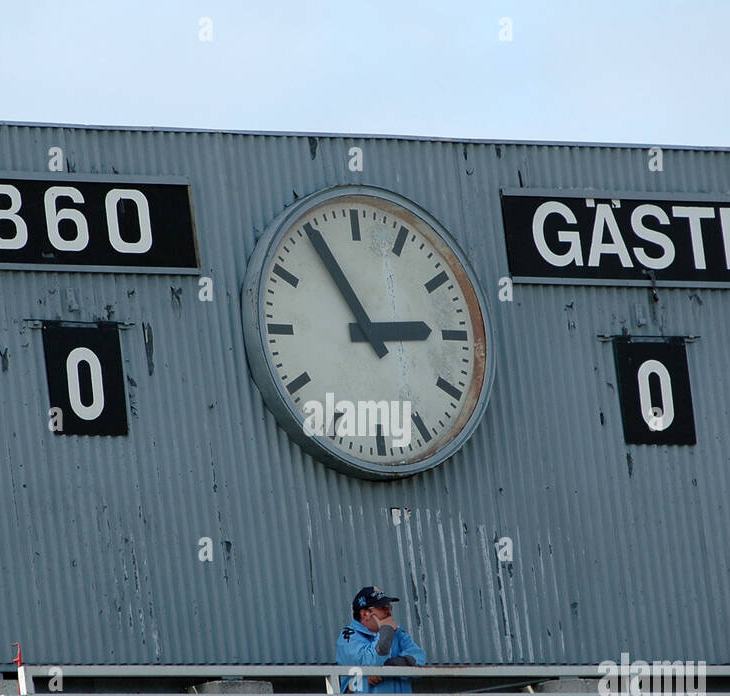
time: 2:54
